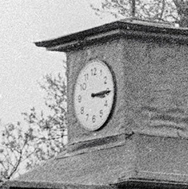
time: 3:14
